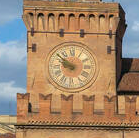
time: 9:51
